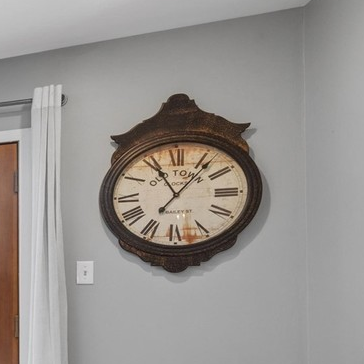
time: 11:06
